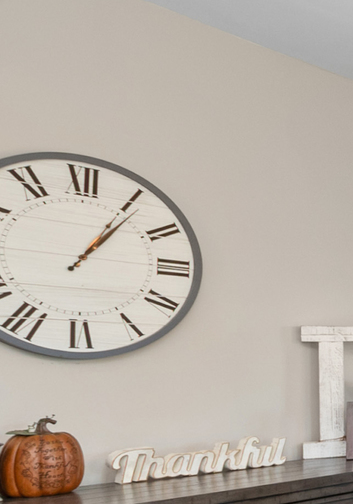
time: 1:06
